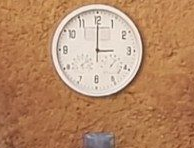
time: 3:00
